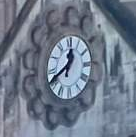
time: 12:40
